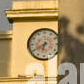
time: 6:39
